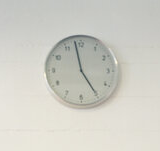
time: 4:58
